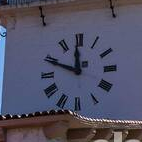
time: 11:48
